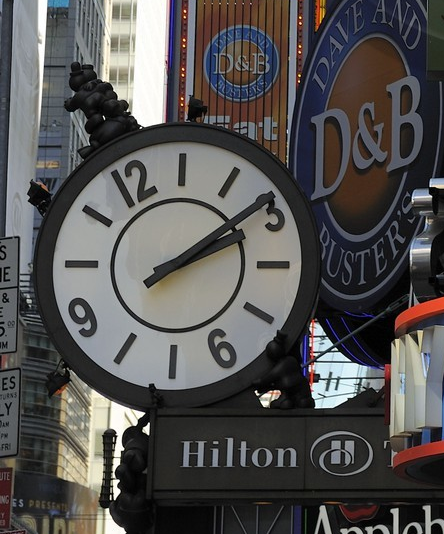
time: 2:09
